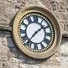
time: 1:36
